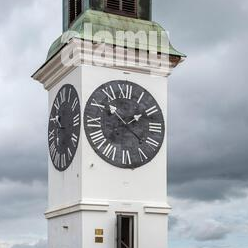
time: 1:52
